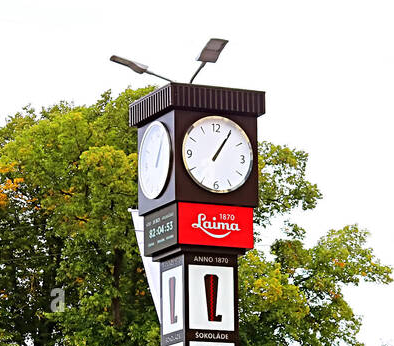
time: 1:05
